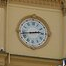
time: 2:43
